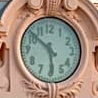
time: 5:51
